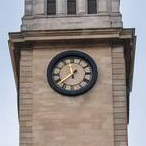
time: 11:37
